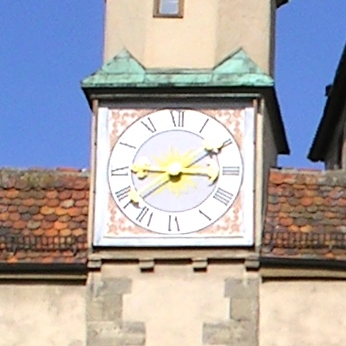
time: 9:09
